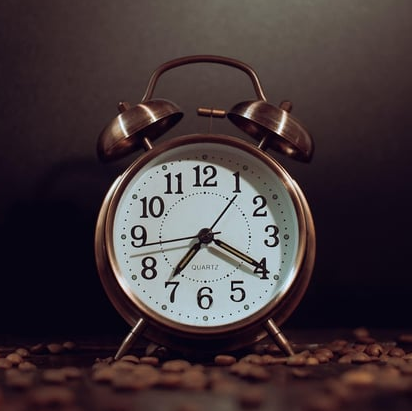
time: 7:19
